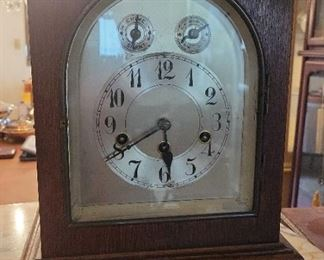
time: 5:40
